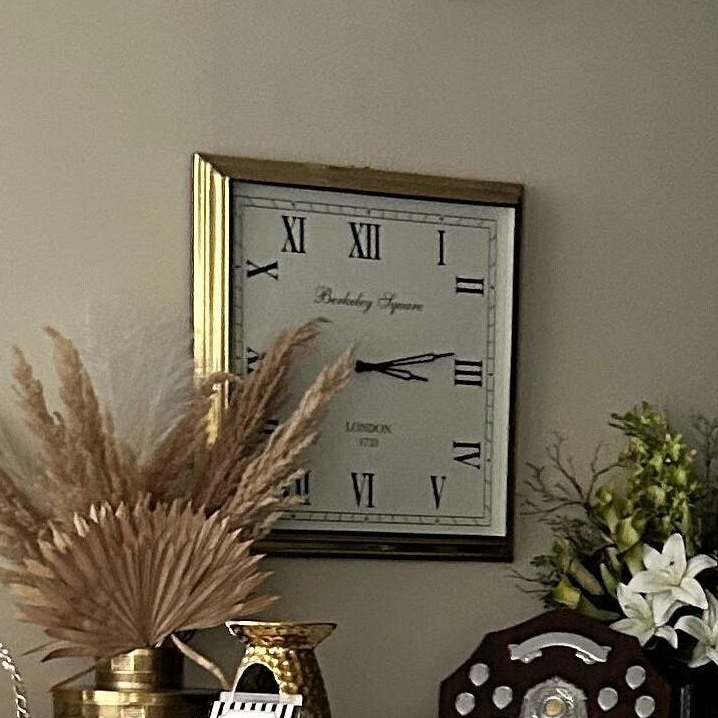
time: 3:13
